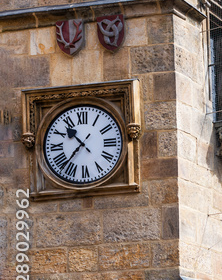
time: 10:36
